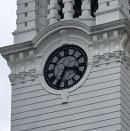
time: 3:34
